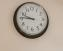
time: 9:45
